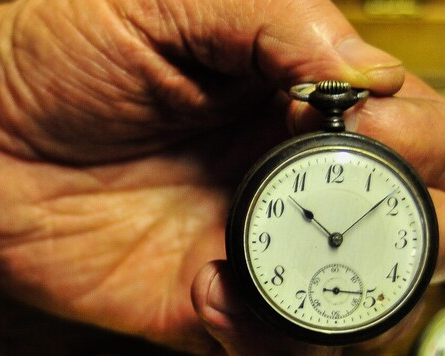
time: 10:08
